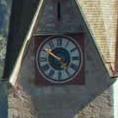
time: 4:50
